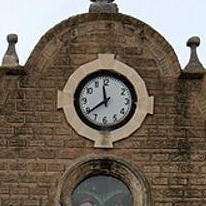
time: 11:39
